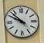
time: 9:52
